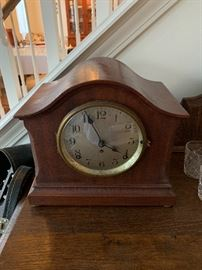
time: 3:56
